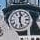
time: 12:27
